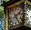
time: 2:24
